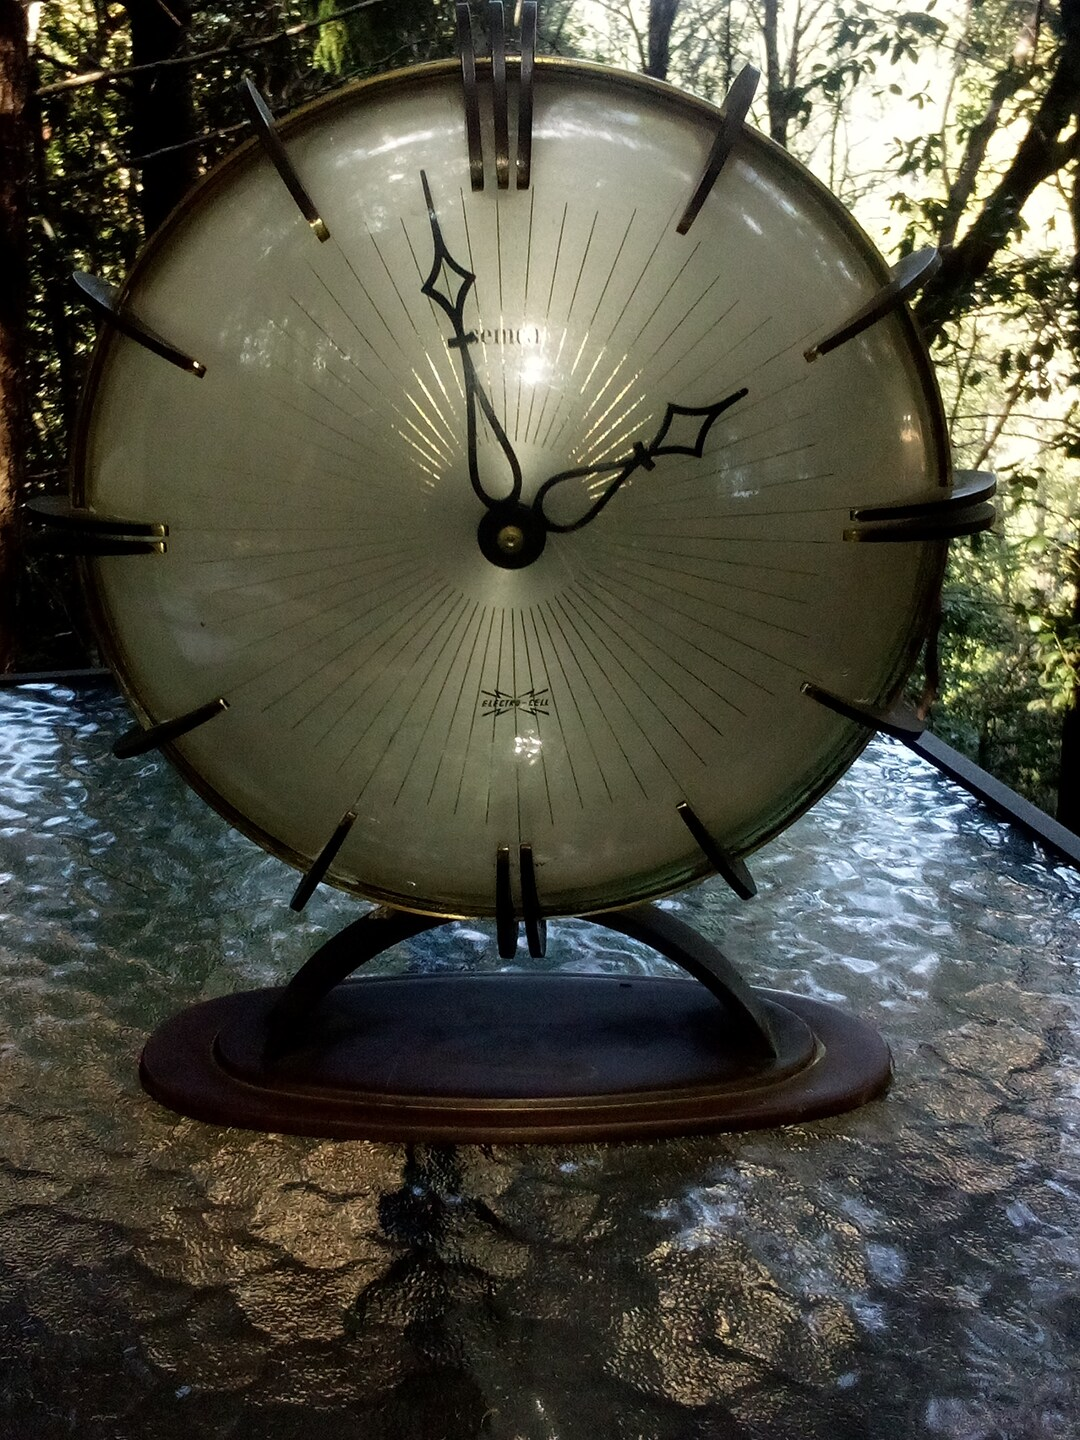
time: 1:57
